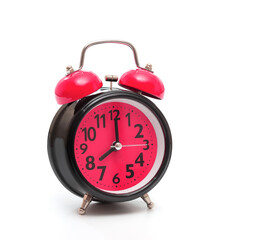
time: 8:00
